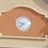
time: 9:37
